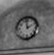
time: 1:58
